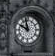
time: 9:57
